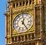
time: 12:24
